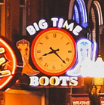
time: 8:22
